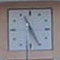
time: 11:25
